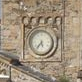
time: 5:36
